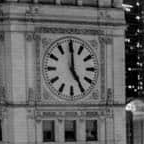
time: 5:00
